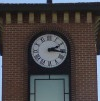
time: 2:16
